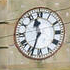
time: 11:33
